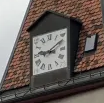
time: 9:10
